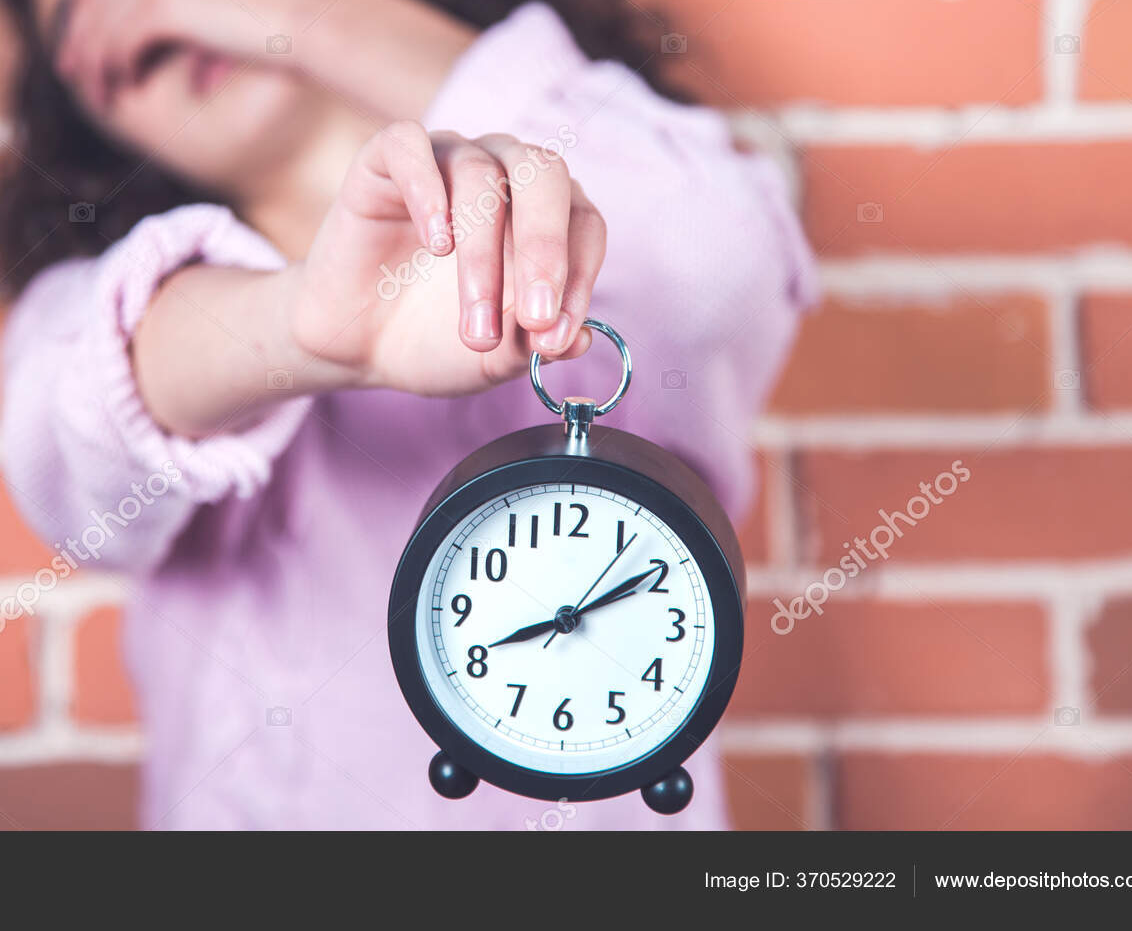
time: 8:09
